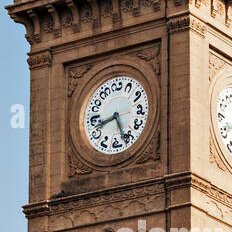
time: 8:26
